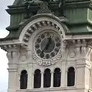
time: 12:36
